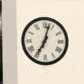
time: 7:02
